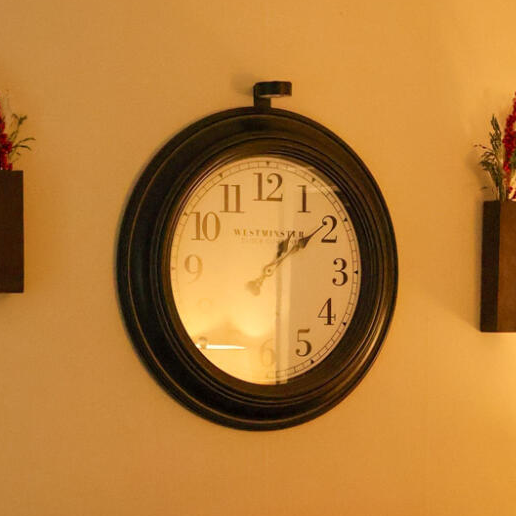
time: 1:09
